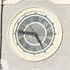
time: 4:46
